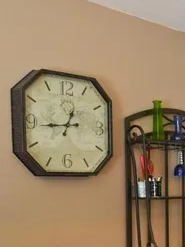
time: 12:44
